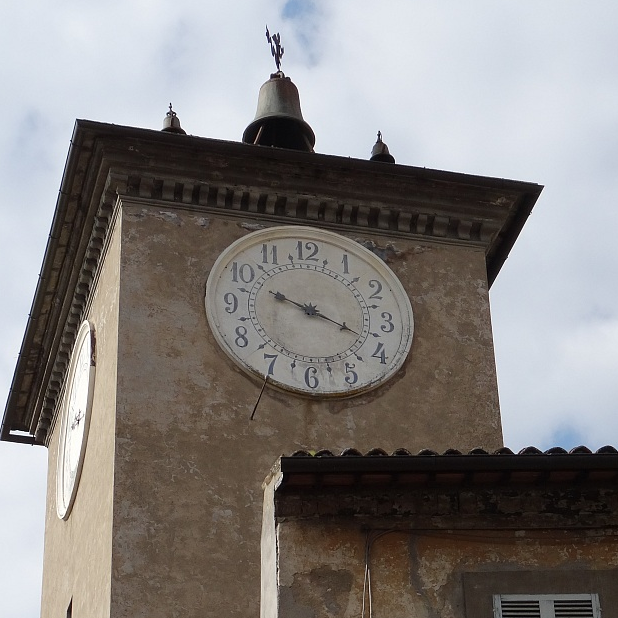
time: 3:48
